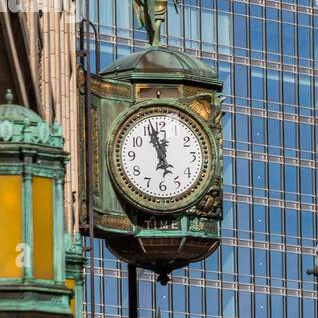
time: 11:56
